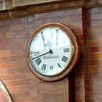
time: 11:42
